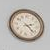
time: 2:22
